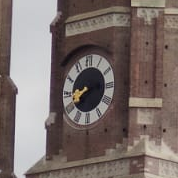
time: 8:14
